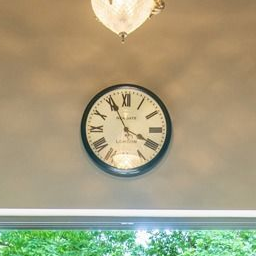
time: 3:55
